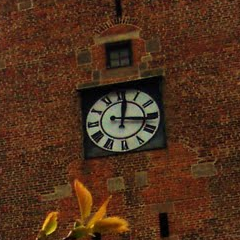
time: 12:16
